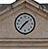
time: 1:36
